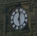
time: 12:27
